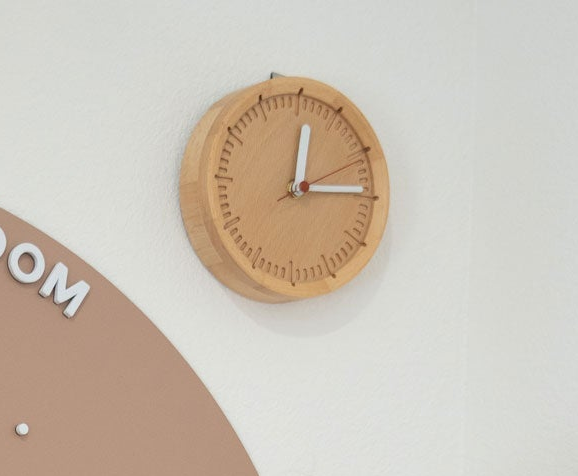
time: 12:14
